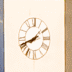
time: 7:41
